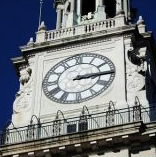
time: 3:14
